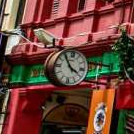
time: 3:54
